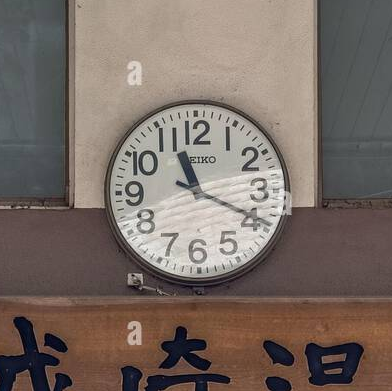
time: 11:19
